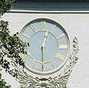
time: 12:30
